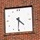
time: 4:30
